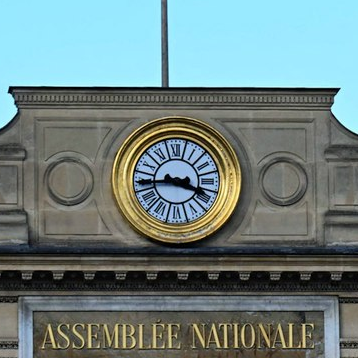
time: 3:43
